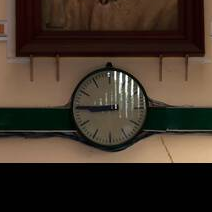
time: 8:45
